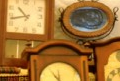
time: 10:43
